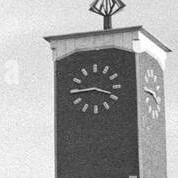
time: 3:43
